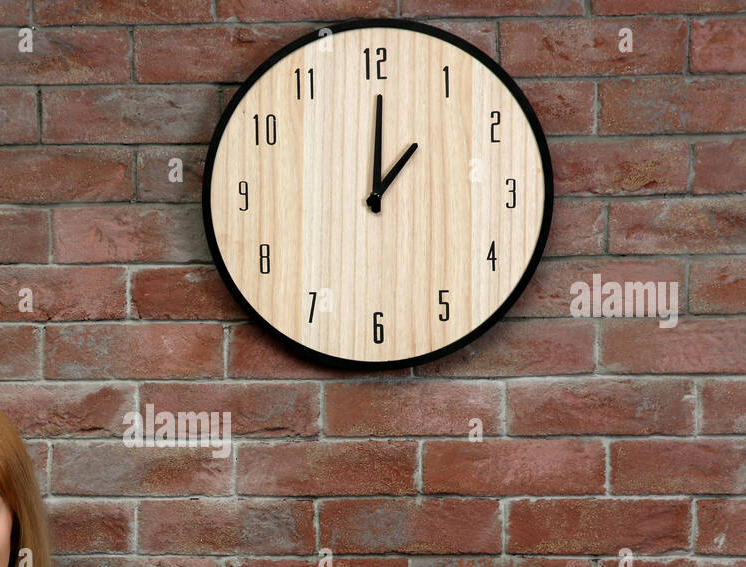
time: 1:00
